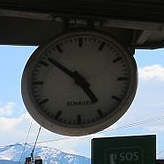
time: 4:51
